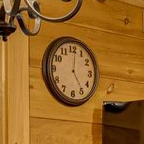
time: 5:01
